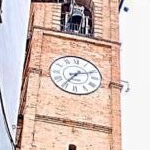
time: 7:11
